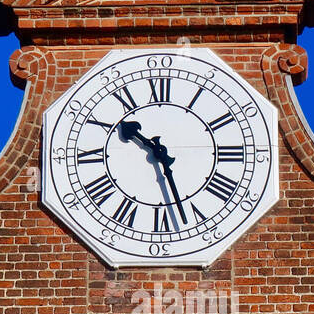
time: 10:27
